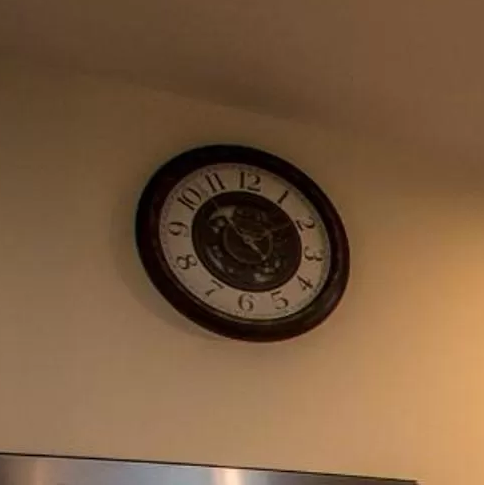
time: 1:52
